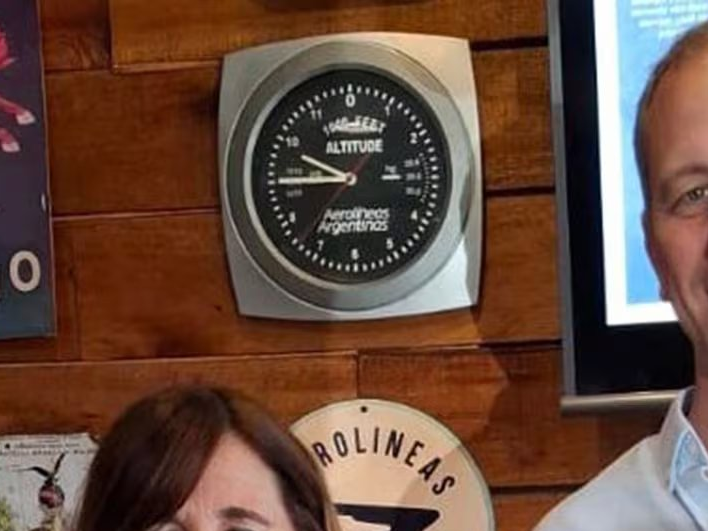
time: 9:44
